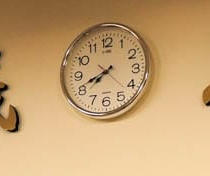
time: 7:41
